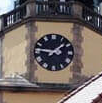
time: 1:46
